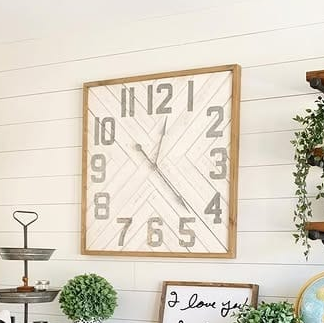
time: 12:22
